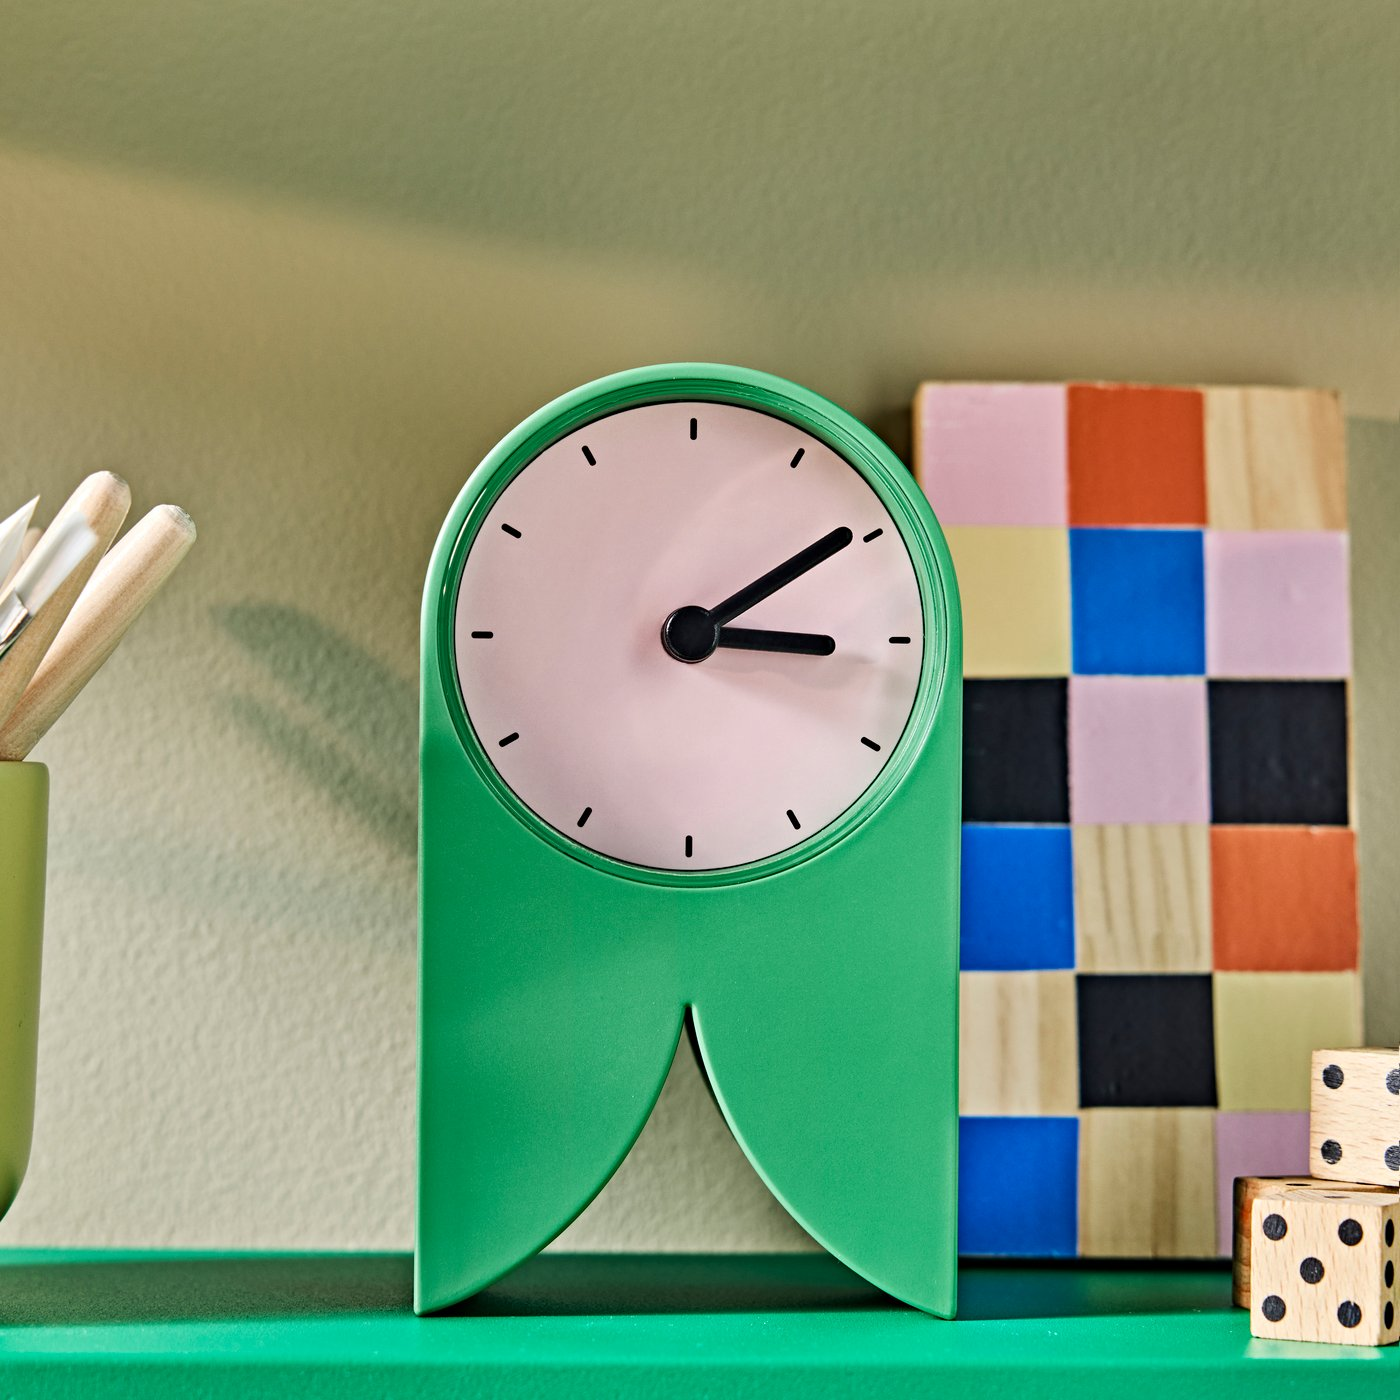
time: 3:09
